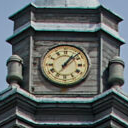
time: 1:07
